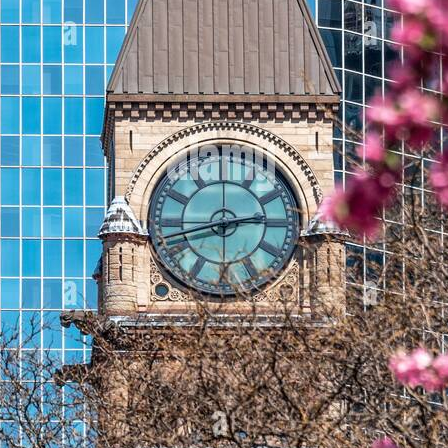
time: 2:42
